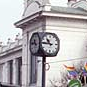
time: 10:45
